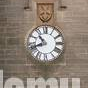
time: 10:41
